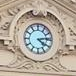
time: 4:13
